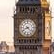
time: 8:22
